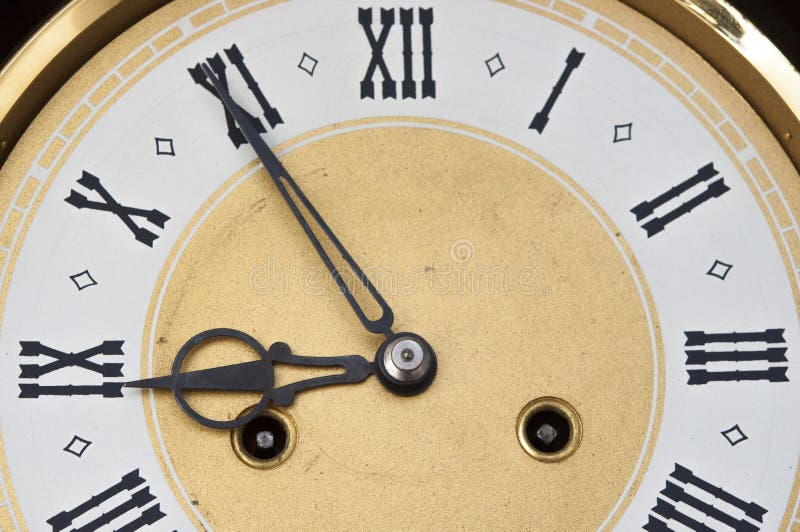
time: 8:54
